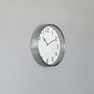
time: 10:10
